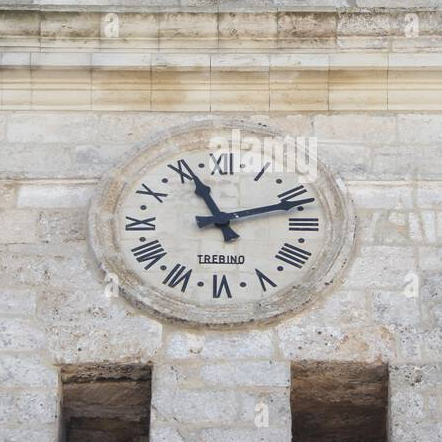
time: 11:12
